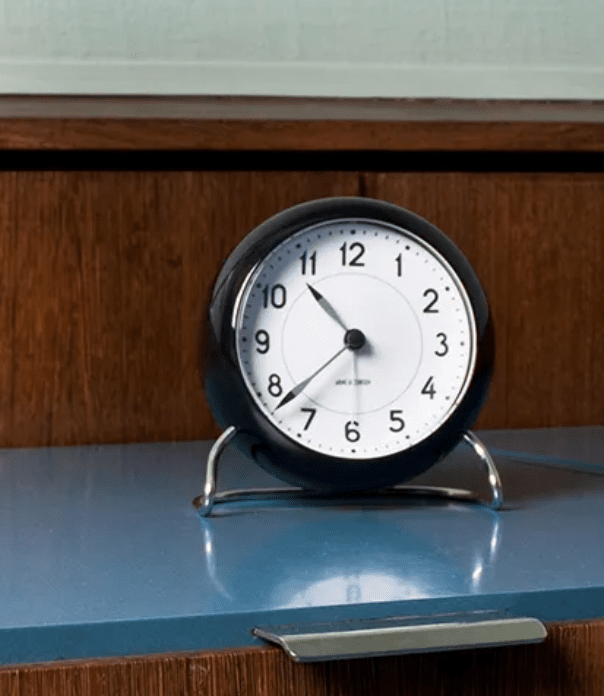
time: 10:38
